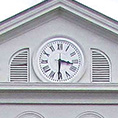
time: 3:30
